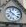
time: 10:21
